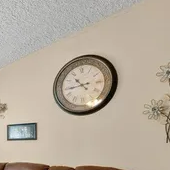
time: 10:43
